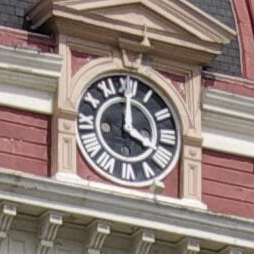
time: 4:00
